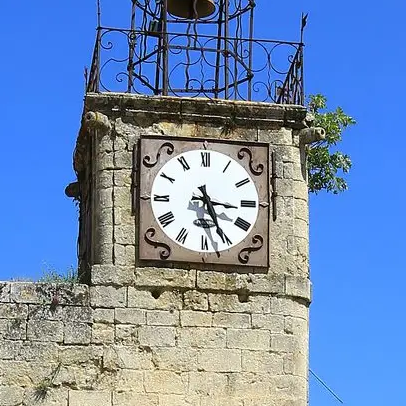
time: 3:26
